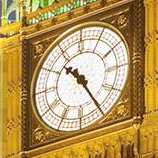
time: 10:24
